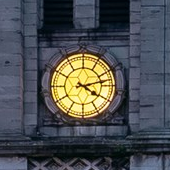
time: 4:12
